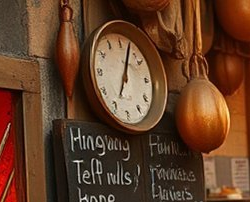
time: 7:04
